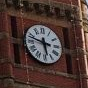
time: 5:47
